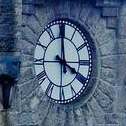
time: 3:59
